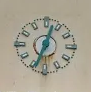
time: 12:33
